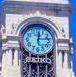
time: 12:13
